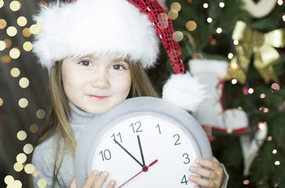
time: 11:53
